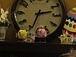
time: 2:33
